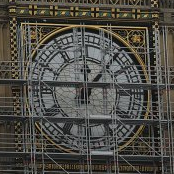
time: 12:07
